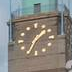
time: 1:34
